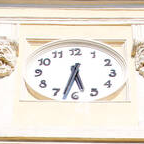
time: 5:32
